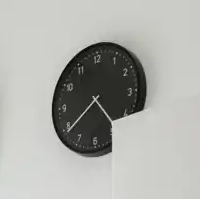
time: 4:39
